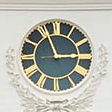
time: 2:56
